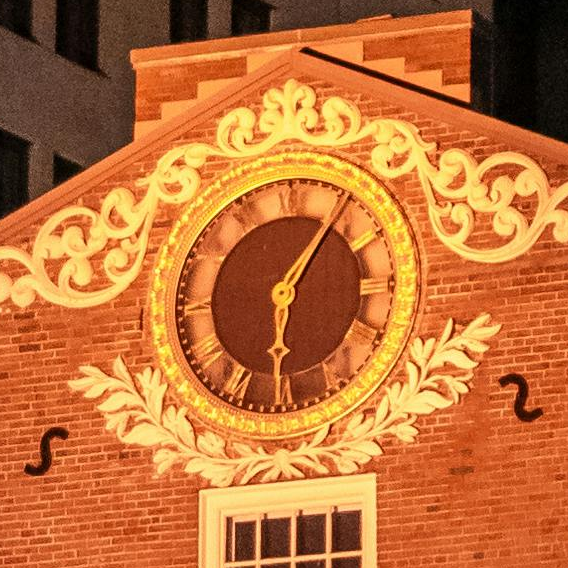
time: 6:06
